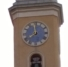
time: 7:59
